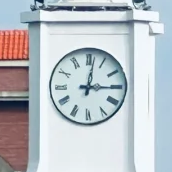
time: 3:01
